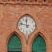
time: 11:47
